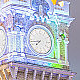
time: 7:43
